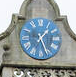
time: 1:26
